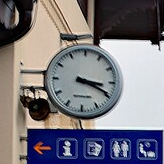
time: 3:19
